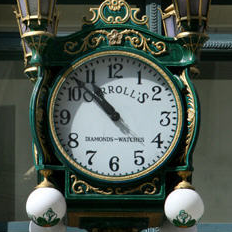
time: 10:52
